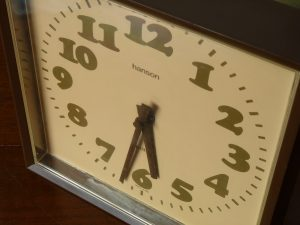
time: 5:32
